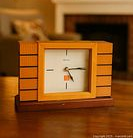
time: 5:15
